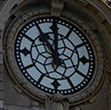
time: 11:00
